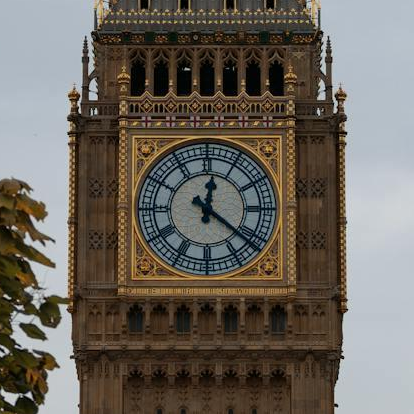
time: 12:21
